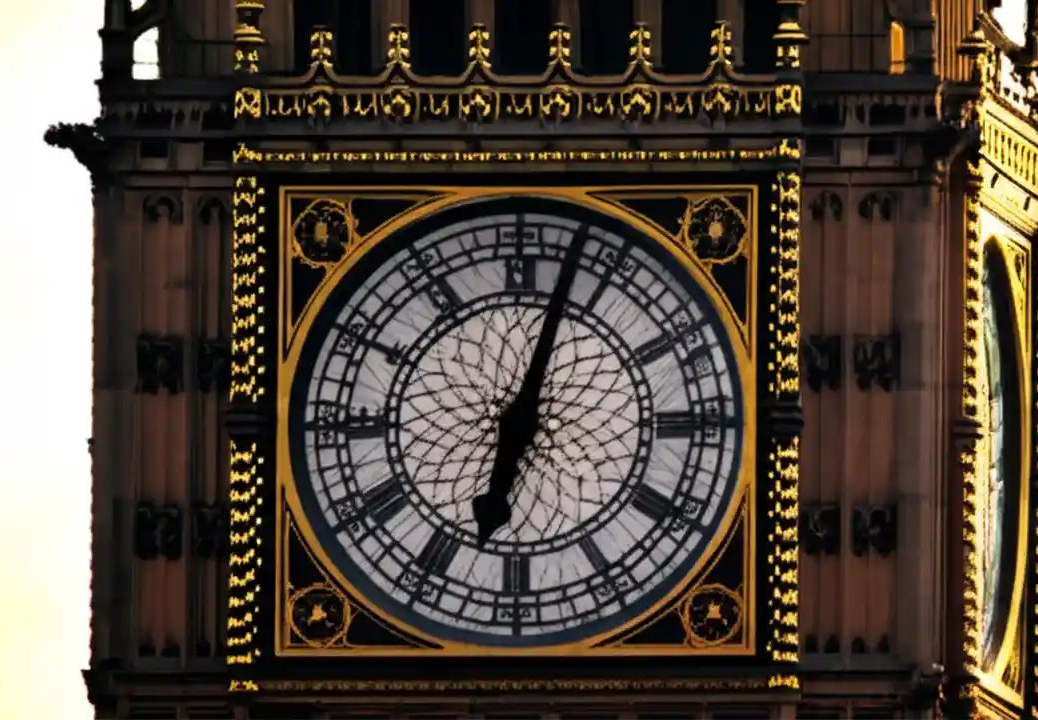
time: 6:02
